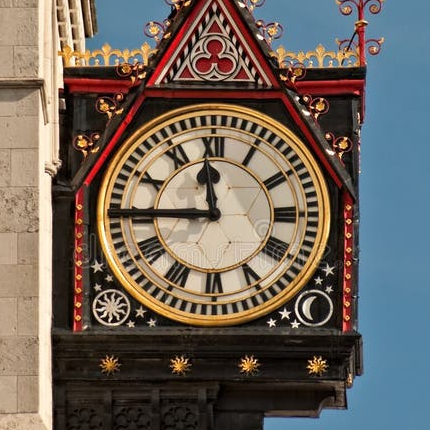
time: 11:45
